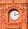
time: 12:13
